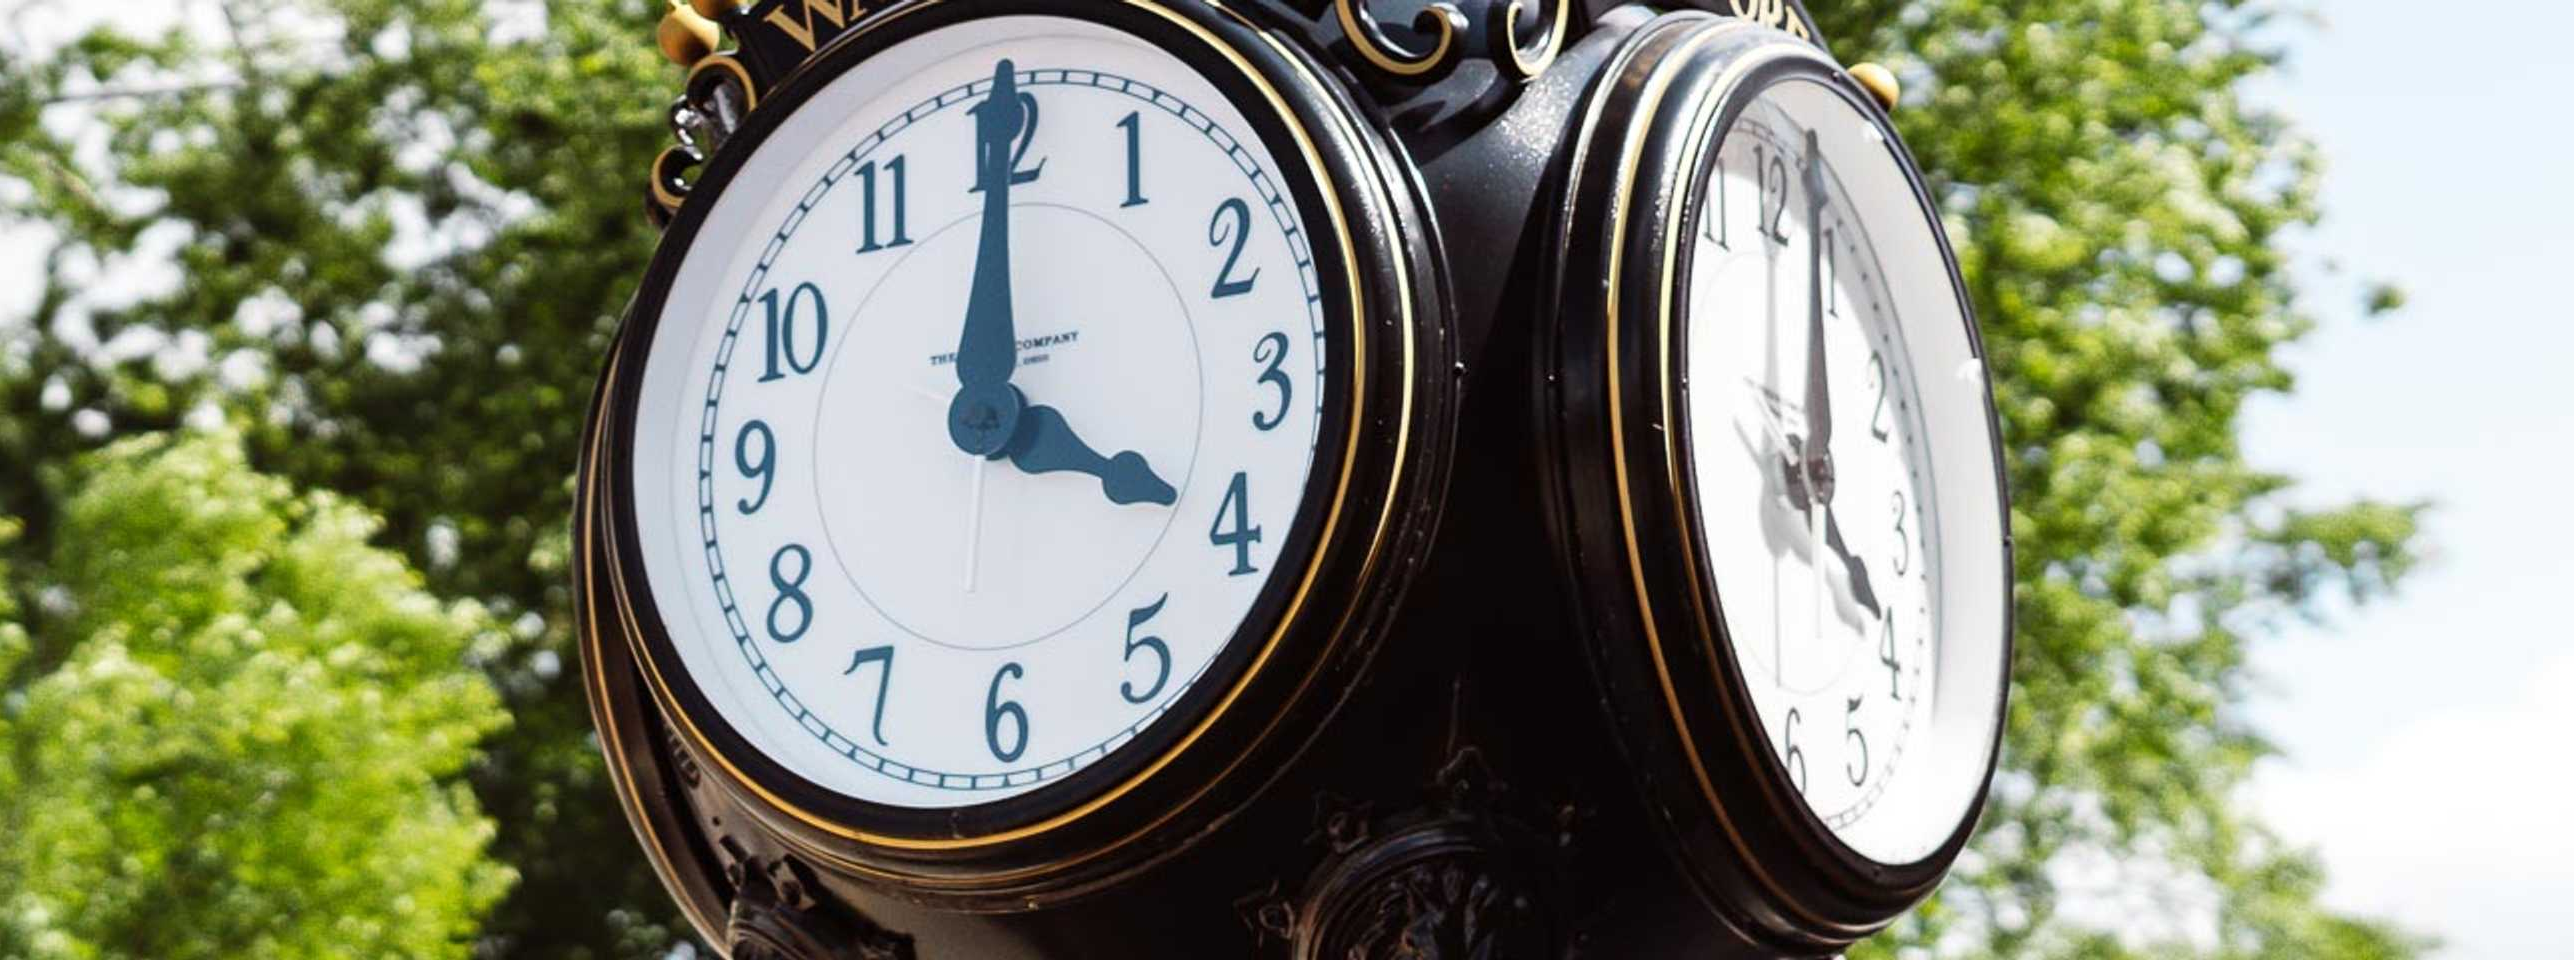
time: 4:00
